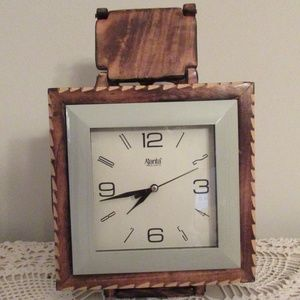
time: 7:43
